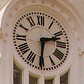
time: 2:30
